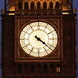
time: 4:21
